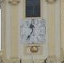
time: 11:35
